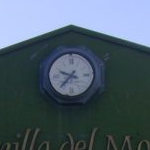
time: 9:36
